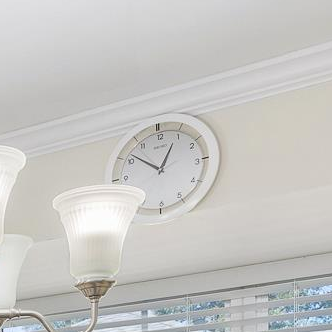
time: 12:51
